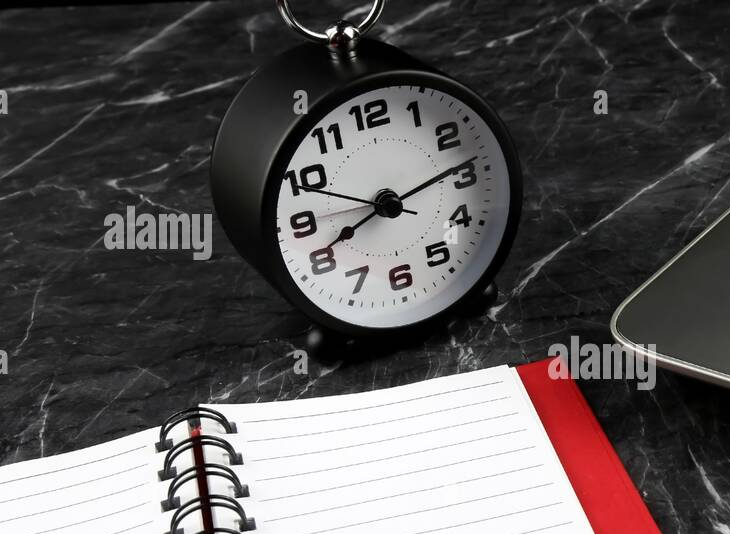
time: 8:13
